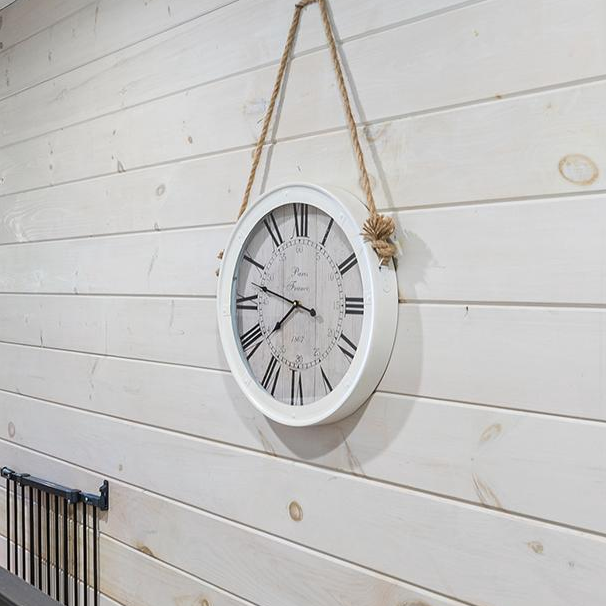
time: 7:47
